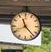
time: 11:22
